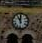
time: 11:00
